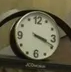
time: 3:18
